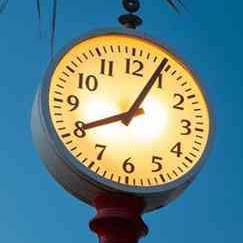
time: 8:04
